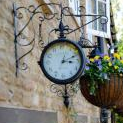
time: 3:11
